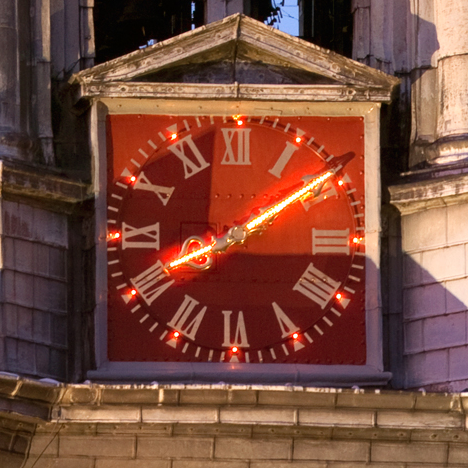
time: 8:09
